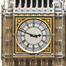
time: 2:48
